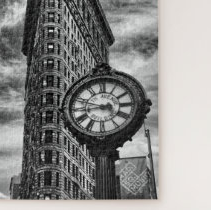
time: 8:47
